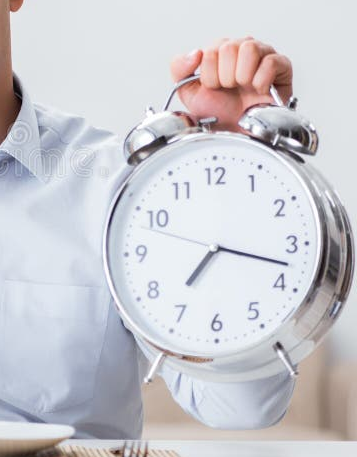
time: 7:17
